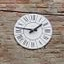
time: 1:46
